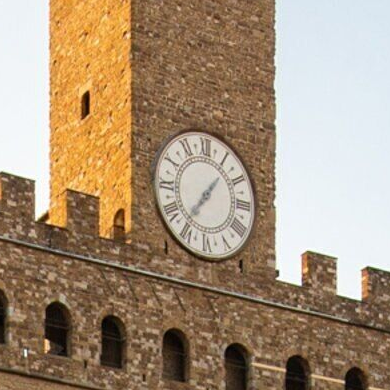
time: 1:36
